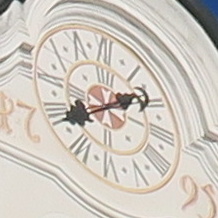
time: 1:39
